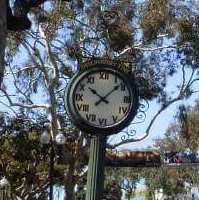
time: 10:08
